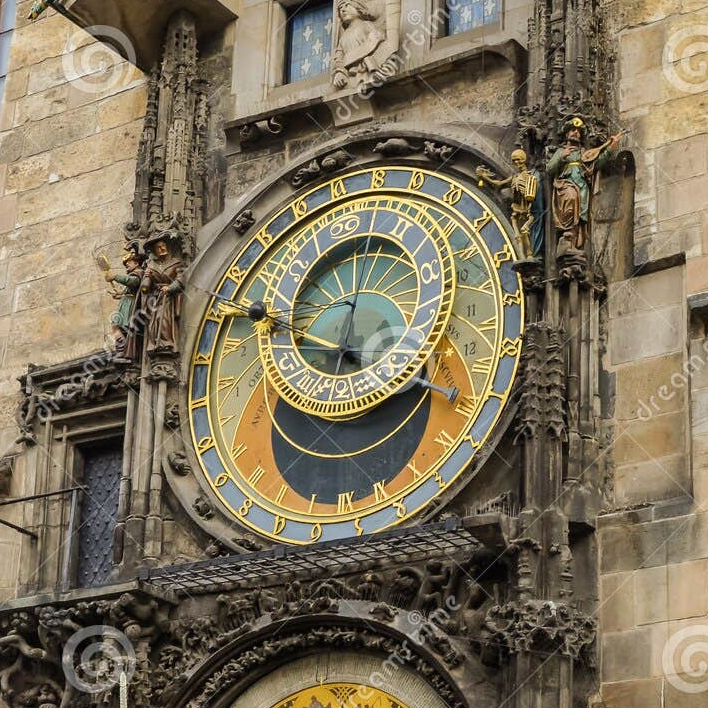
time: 11:46
